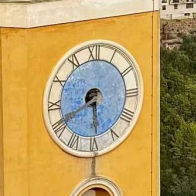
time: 5:40
